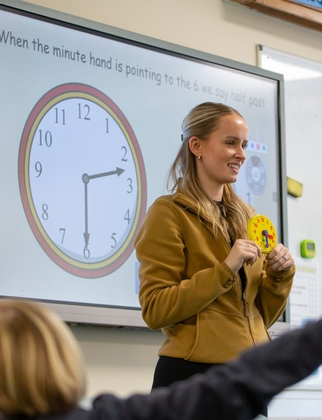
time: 2:30
